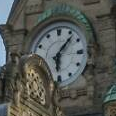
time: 6:07
